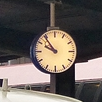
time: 9:53
